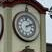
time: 2:11
